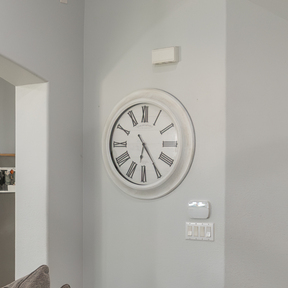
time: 6:24
